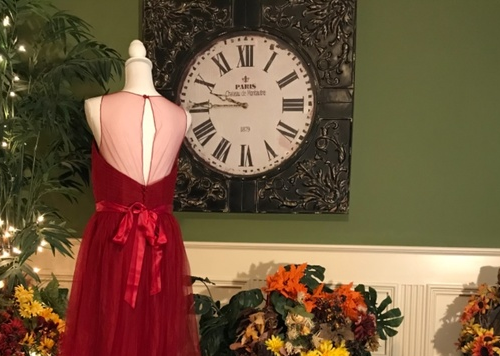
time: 9:44
